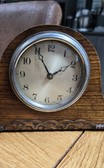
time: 1:55
